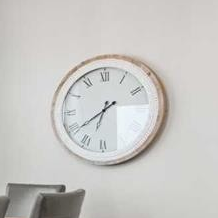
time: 6:39
